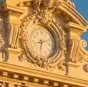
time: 6:11
